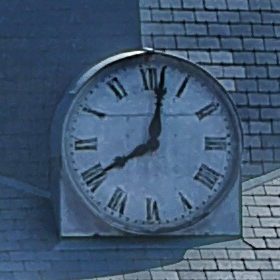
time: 8:01
